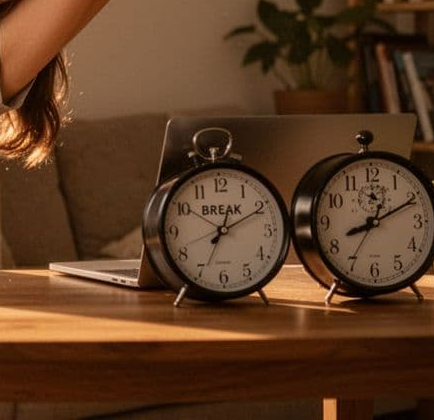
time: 1:10
